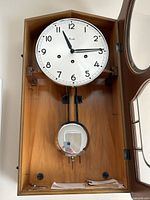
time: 11:14
